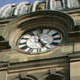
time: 4:57
